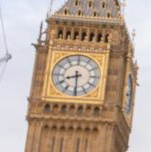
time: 8:29
